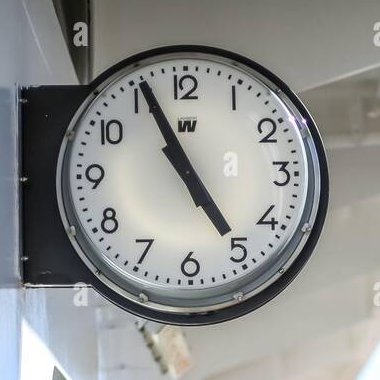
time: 4:55
